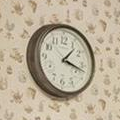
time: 1:17
